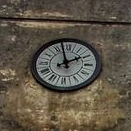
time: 1:57
